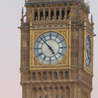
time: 4:52
